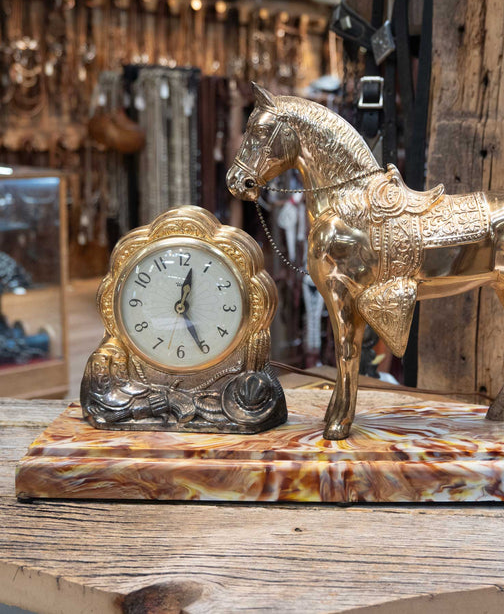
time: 12:25
